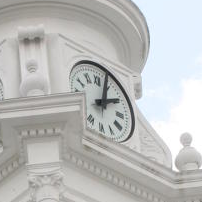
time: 2:02
